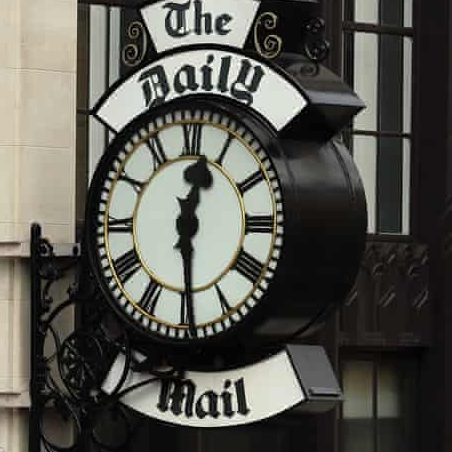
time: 12:29
